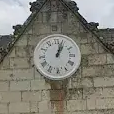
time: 1:03
